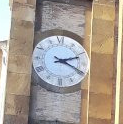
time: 2:18
